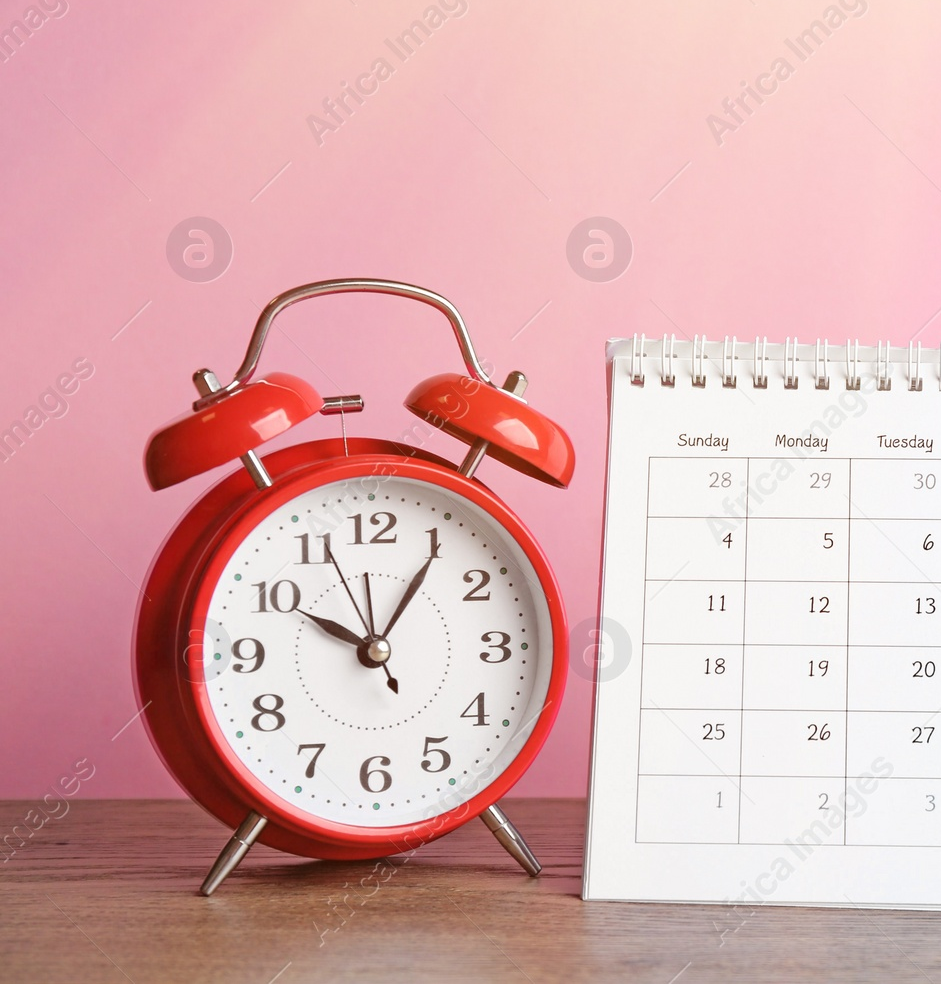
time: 10:05
